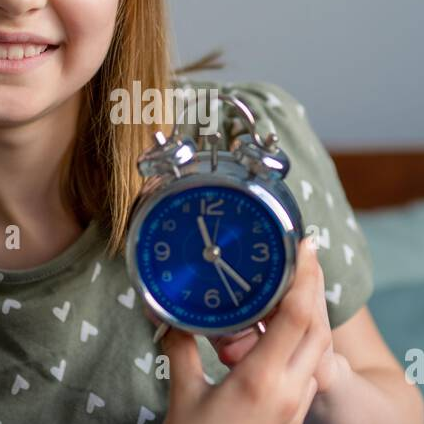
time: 11:22
